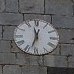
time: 11:32
